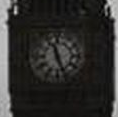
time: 11:26
